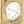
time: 3:48
